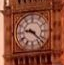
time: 9:22
